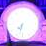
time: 7:32
